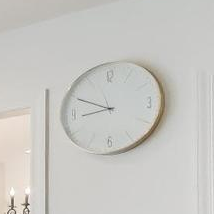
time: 8:49
